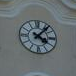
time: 4:07
